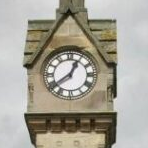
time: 12:39
